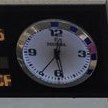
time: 12:28
